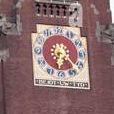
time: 6:22
